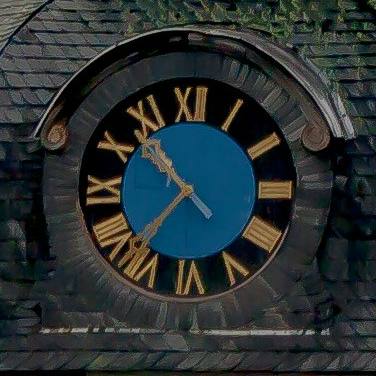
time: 10:37
